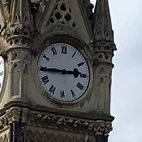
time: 2:44
